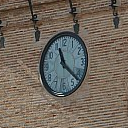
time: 11:22
